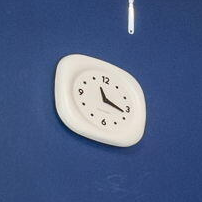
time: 11:17
